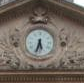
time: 5:33
